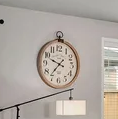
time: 9:36
